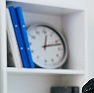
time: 12:12
